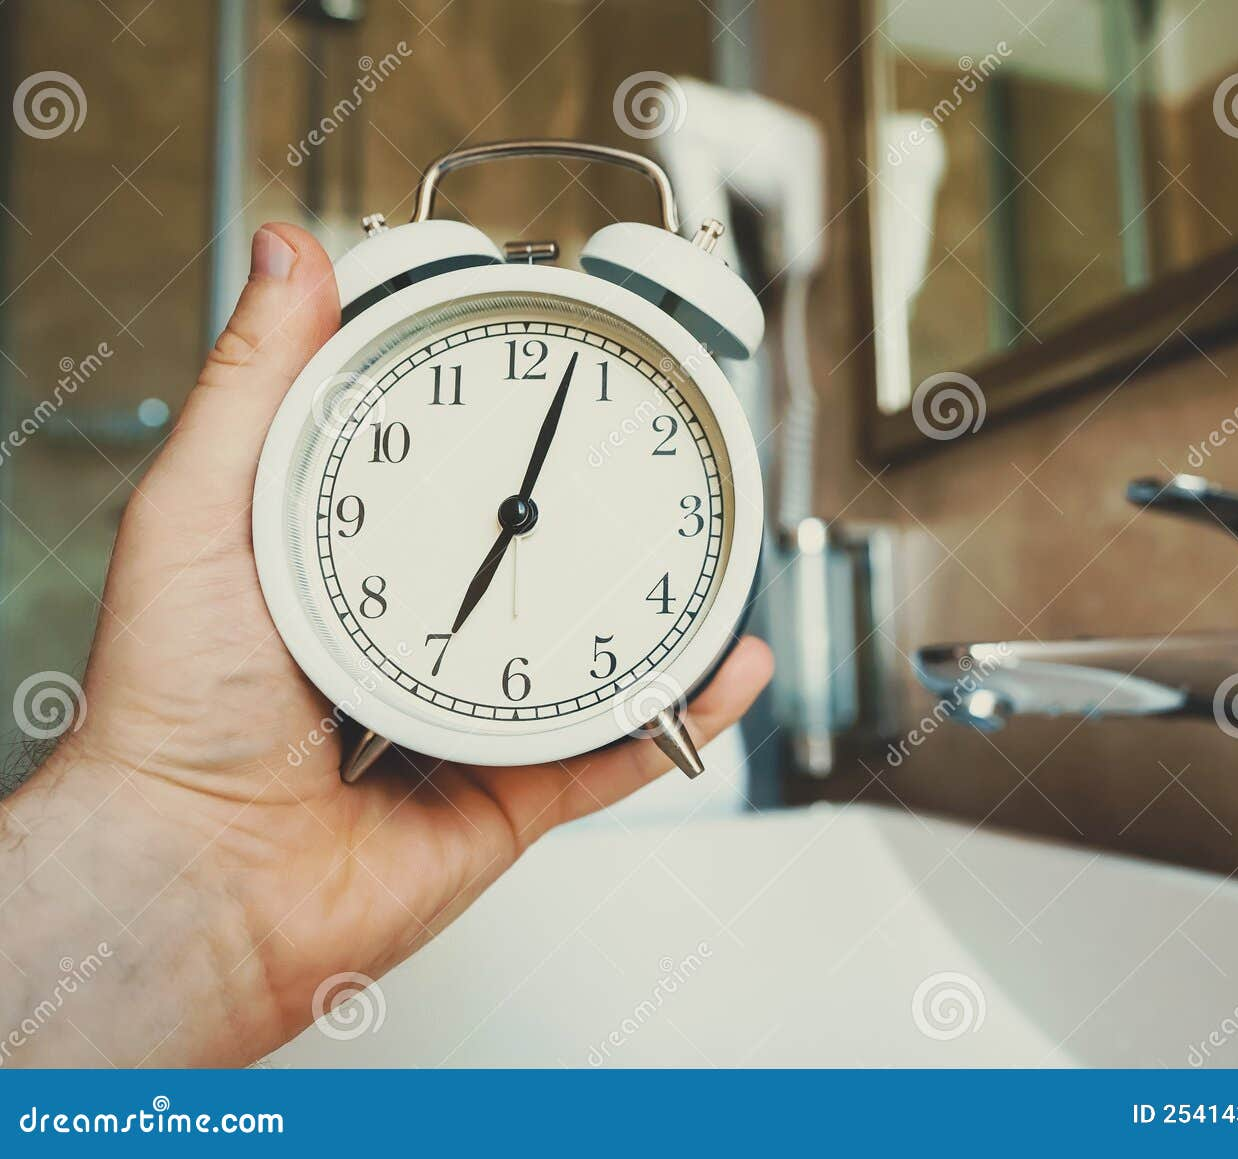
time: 7:03
